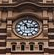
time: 11:13
